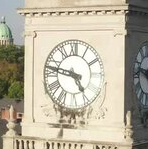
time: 4:47
